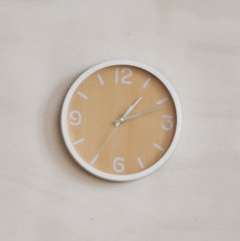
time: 1:11
